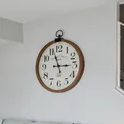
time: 2:56
